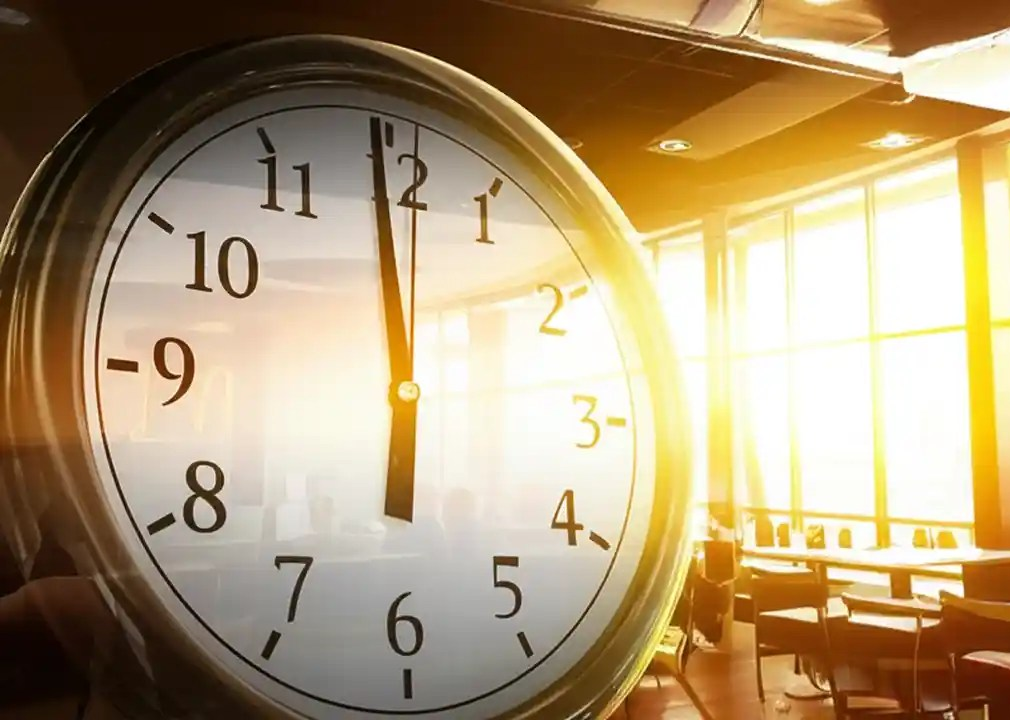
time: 5:59
